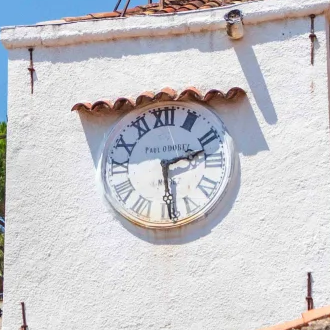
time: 2:29
